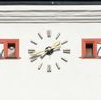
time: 7:42
